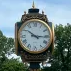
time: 10:15
